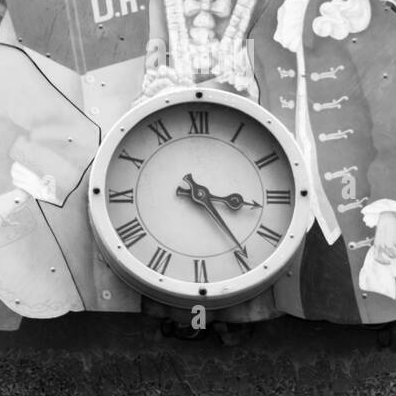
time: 3:24
